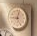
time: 9:02
